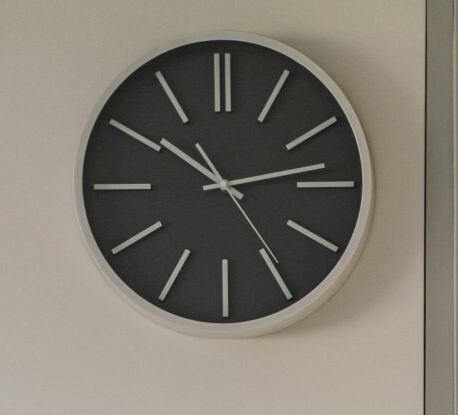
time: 10:13
